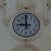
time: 8:59
